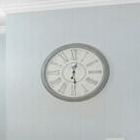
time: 12:28
